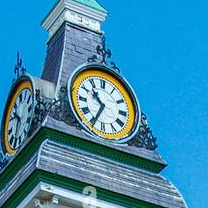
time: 10:34
